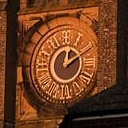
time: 12:10
